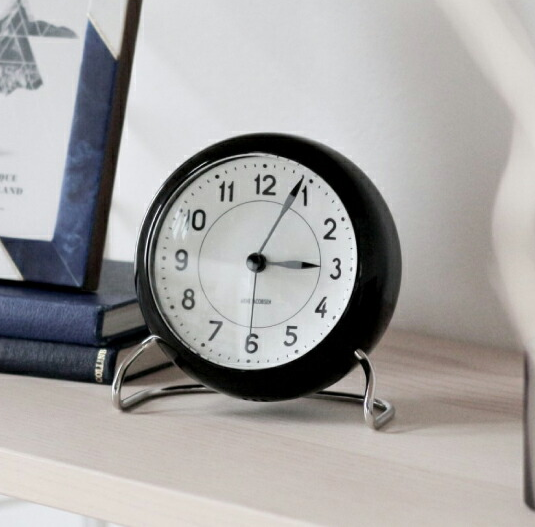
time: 3:04
